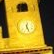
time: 12:26
